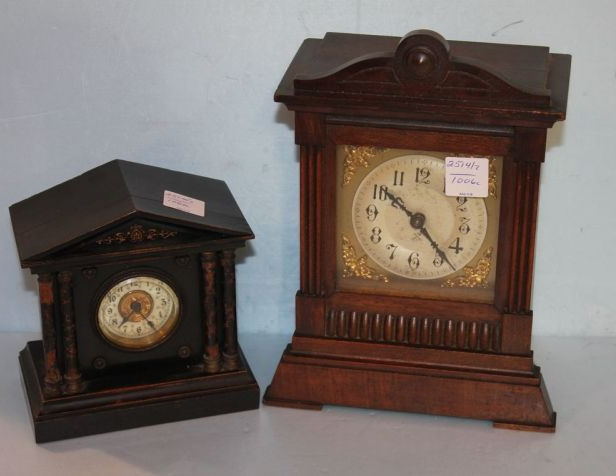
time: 10:22
